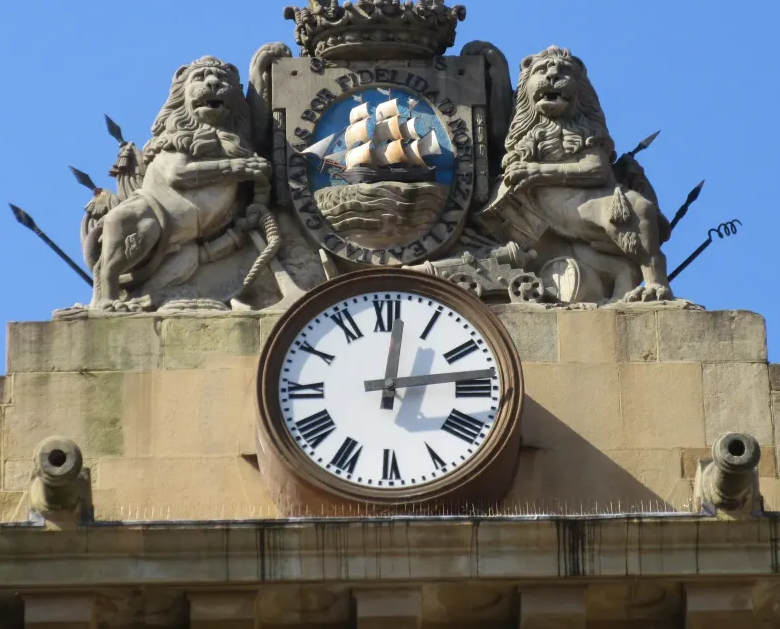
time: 12:13
